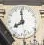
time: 7:59
